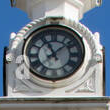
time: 11:08
